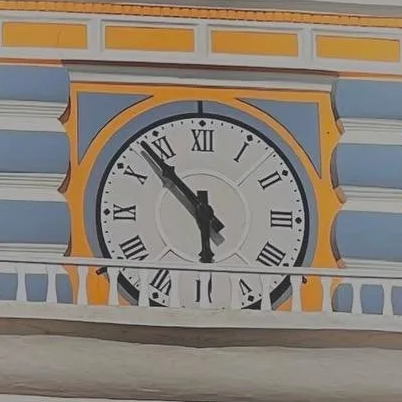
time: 5:53
